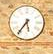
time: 5:36
